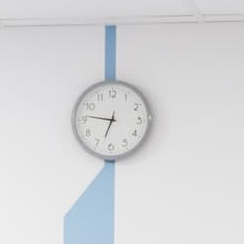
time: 6:46
